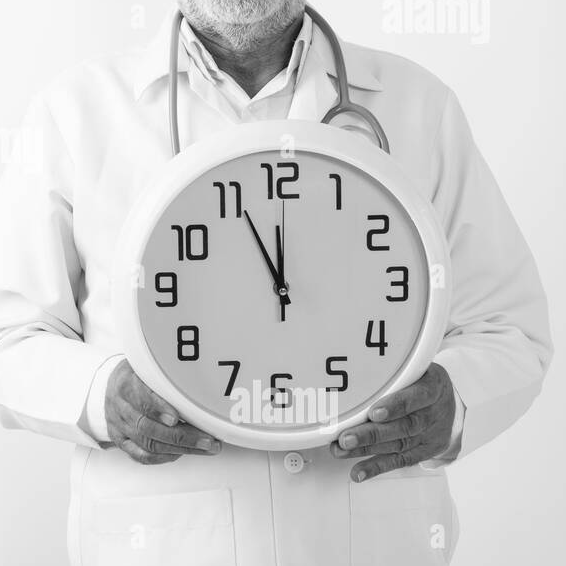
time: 11:55
